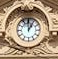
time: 12:59
